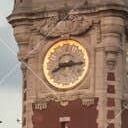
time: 8:14
